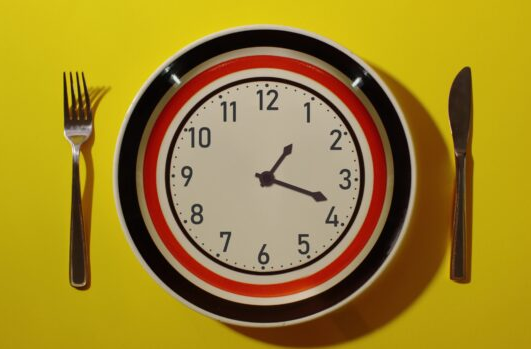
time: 1:18
